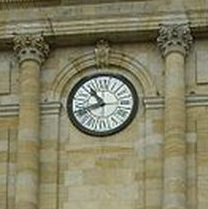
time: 10:41
